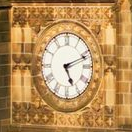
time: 5:11
